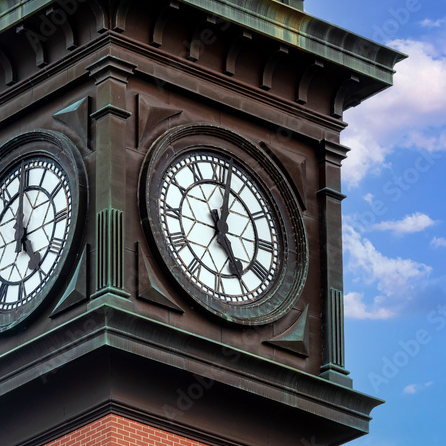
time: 5:01
